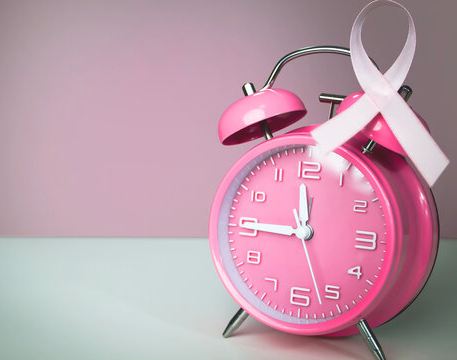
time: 11:45
